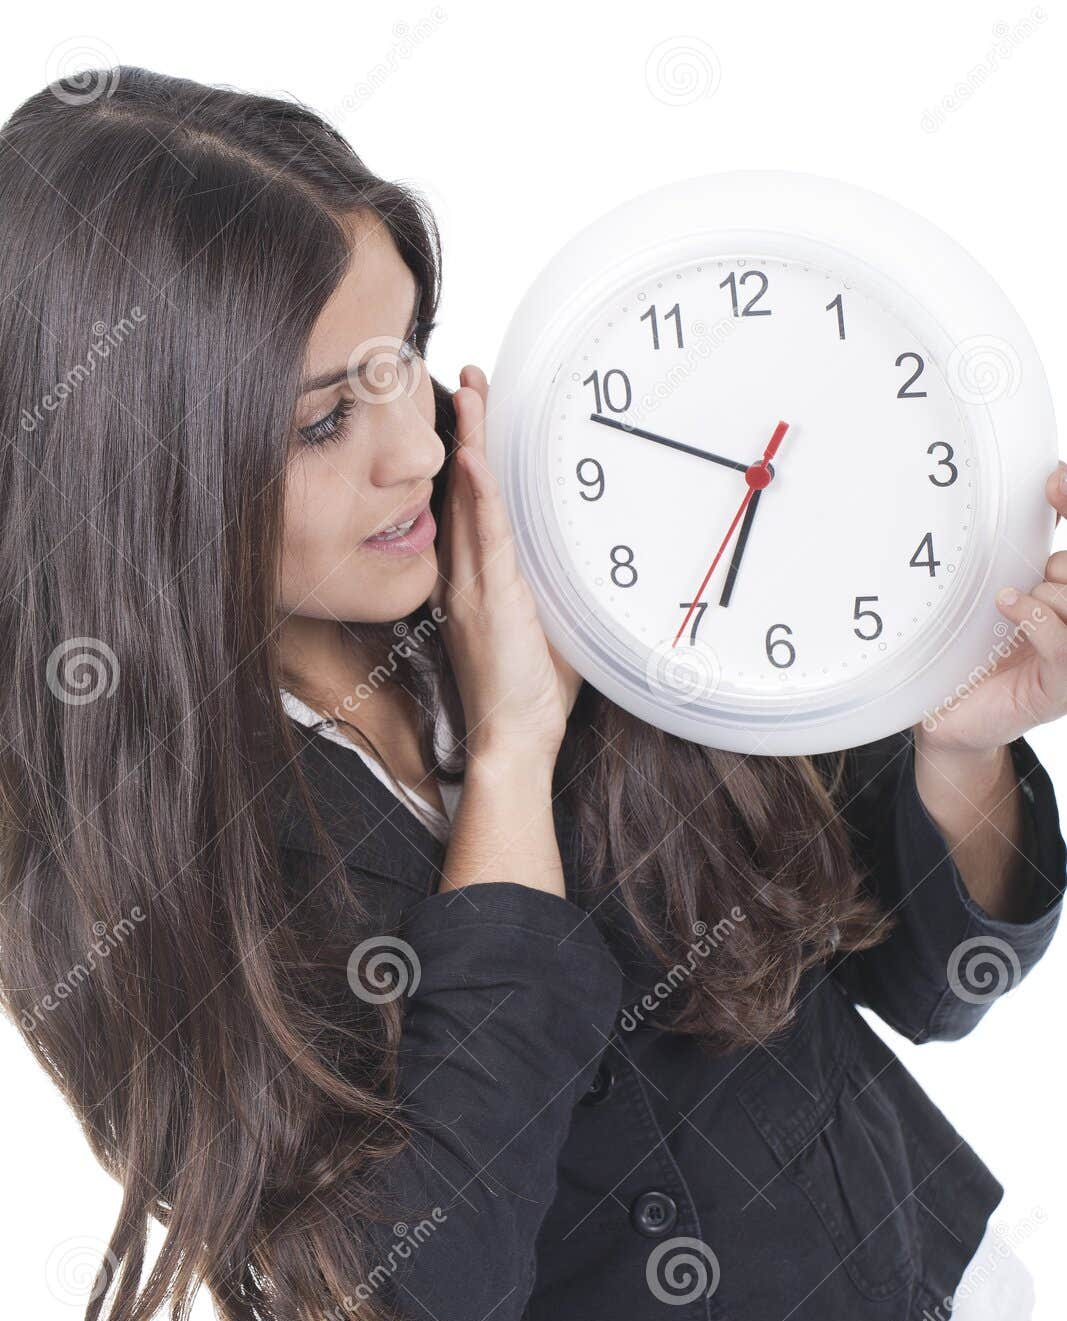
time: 6:48
